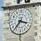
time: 3:36
